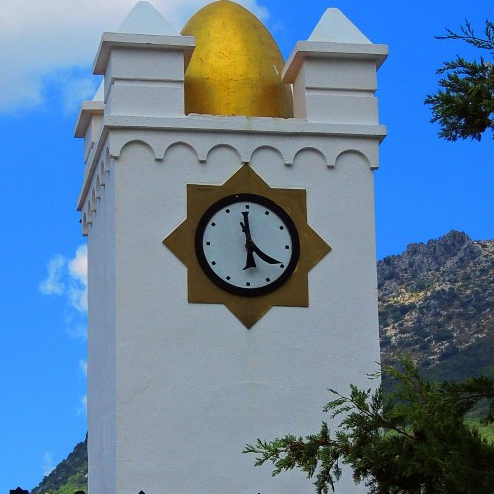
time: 3:59
